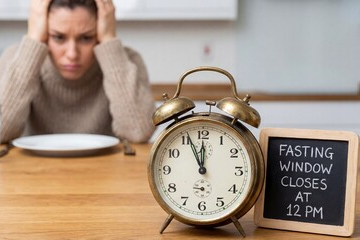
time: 11:56
